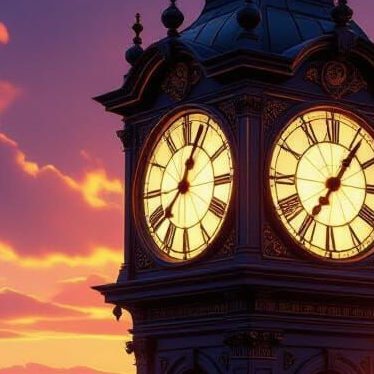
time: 12:37
